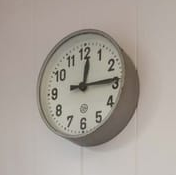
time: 12:14
